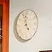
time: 4:57
